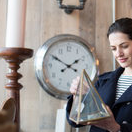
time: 1:50
